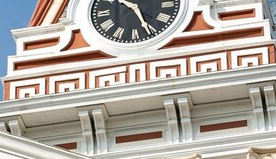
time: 10:25
